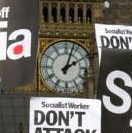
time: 2:03
